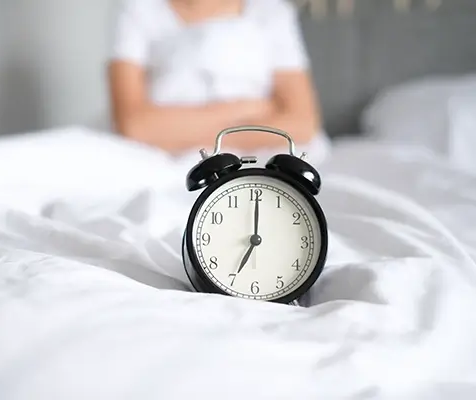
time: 7:00
